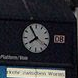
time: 7:54
